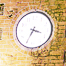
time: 3:34
